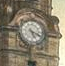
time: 5:18
